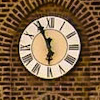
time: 5:55
